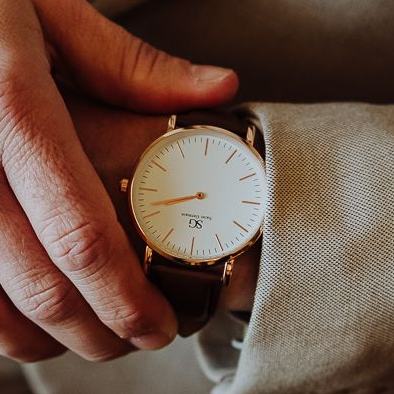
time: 8:42
